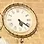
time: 5:21
